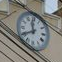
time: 11:40
